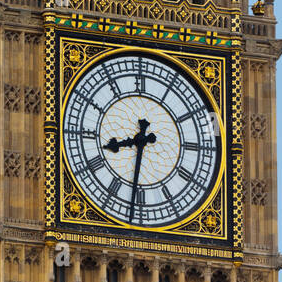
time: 8:31
